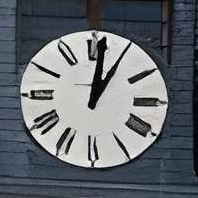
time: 1:01
